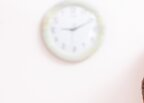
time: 9:10
